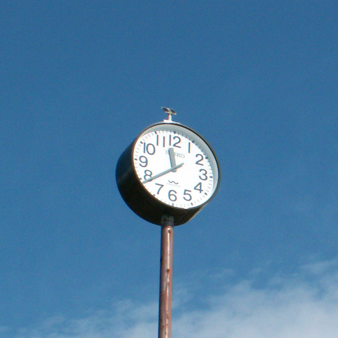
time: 11:38
